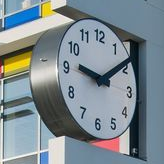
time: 9:09
